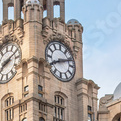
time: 8:11
